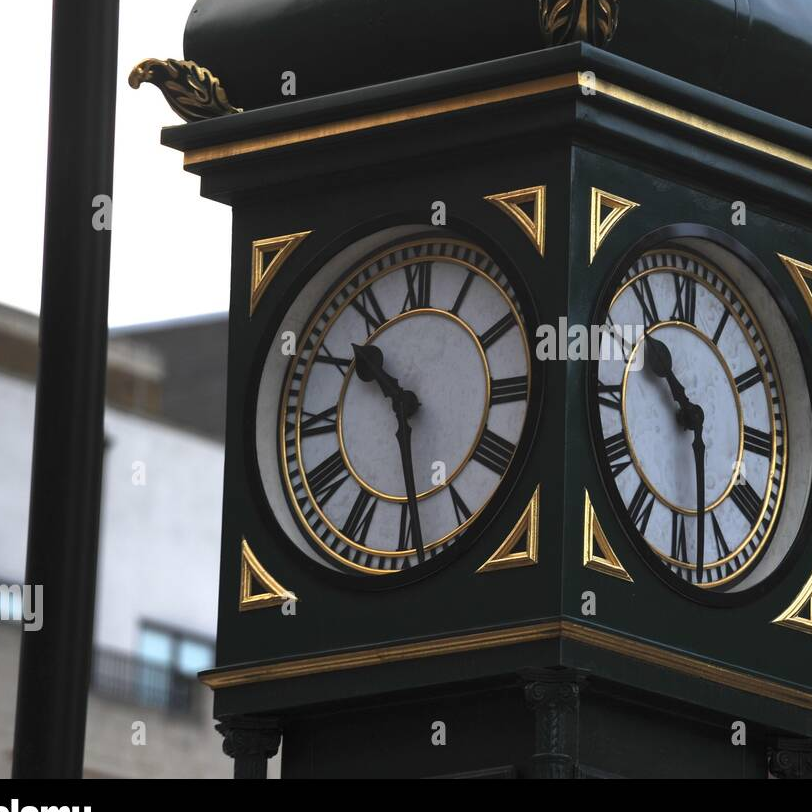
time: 10:28
